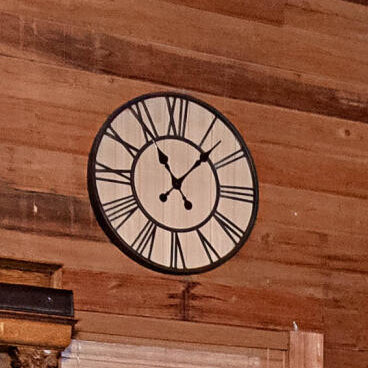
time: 11:07
